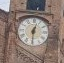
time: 12:30
